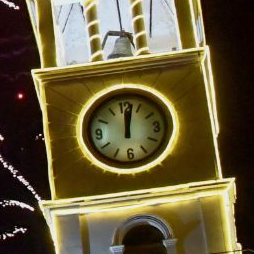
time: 12:02
